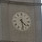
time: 4:28
